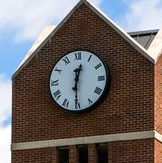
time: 12:30
